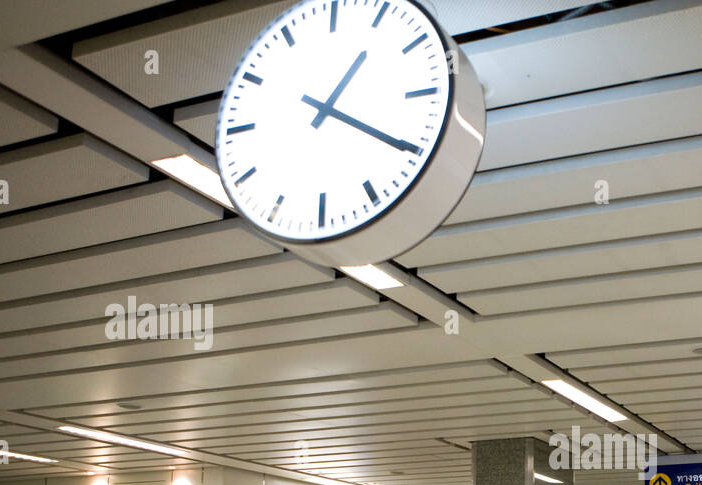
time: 1:20
